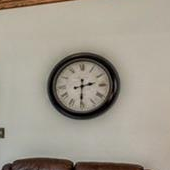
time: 2:30
